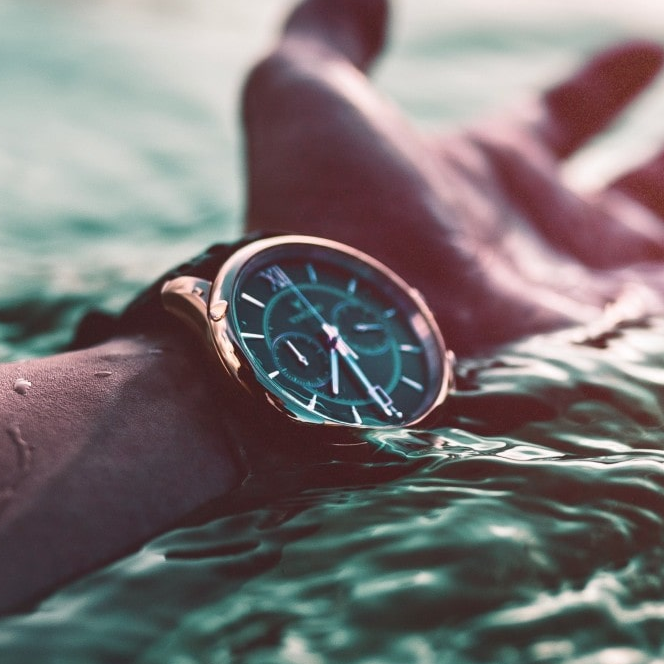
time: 6:26
